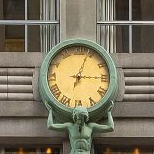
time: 3:03
